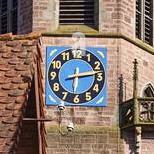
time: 6:13
